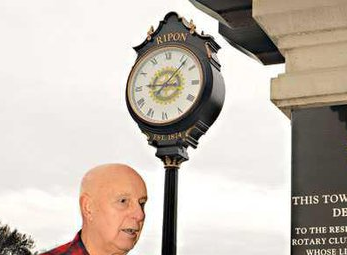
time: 9:07
